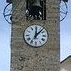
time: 12:07
